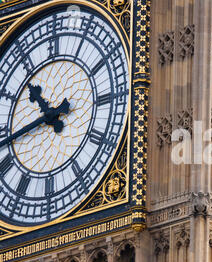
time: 10:42
